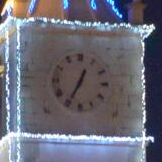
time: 12:34
